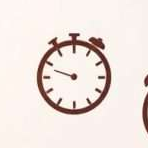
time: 9:48
